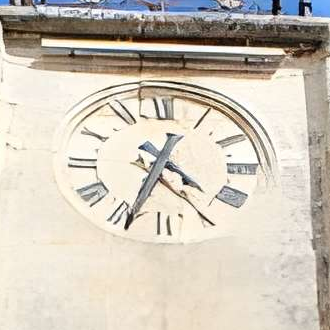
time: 4:34
